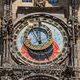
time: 11:55
